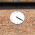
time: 4:20
